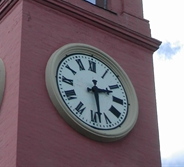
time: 2:28
